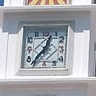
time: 12:36
